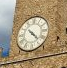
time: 4:22
